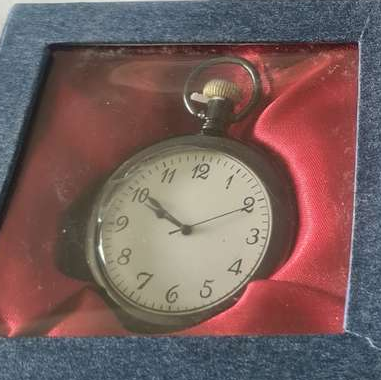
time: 9:50
